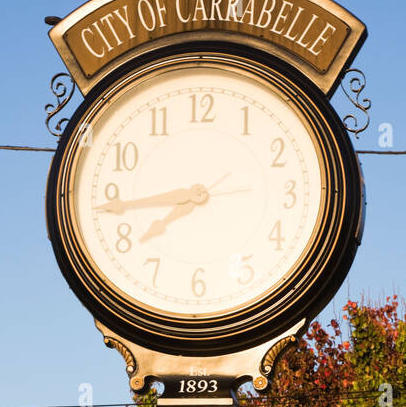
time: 7:43
